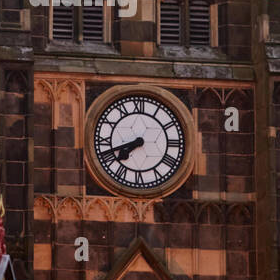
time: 7:41
